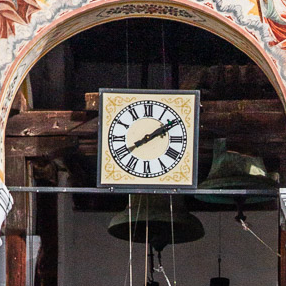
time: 2:09
